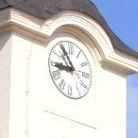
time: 8:54
